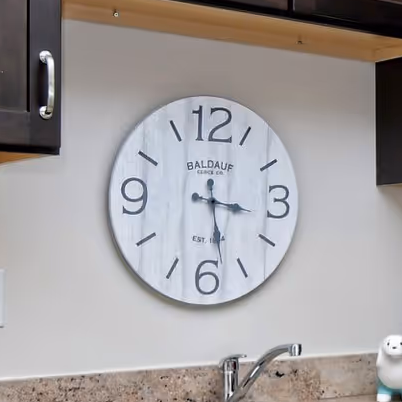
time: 3:28
